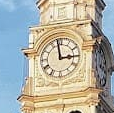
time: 2:58
